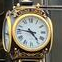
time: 4:46
